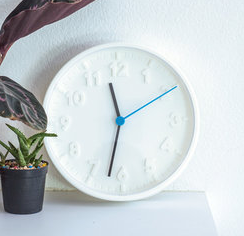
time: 11:32
